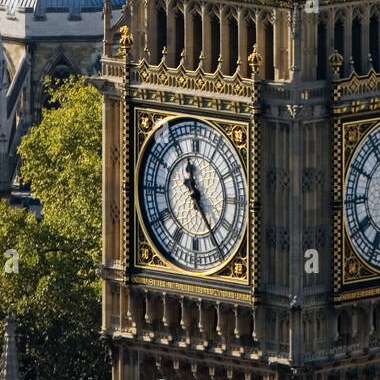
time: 11:24
